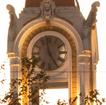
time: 4:57
